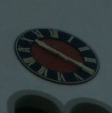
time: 10:19
